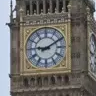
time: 9:10
